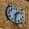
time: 1:32
